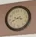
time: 3:41
